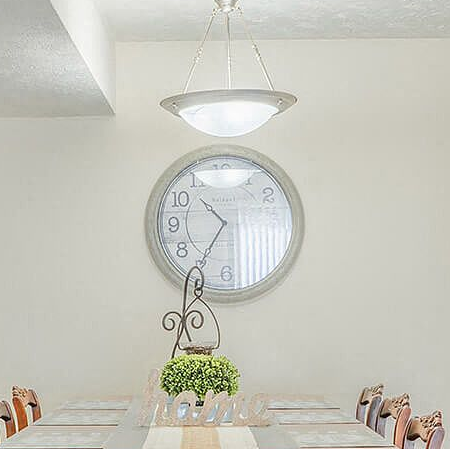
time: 10:35
